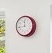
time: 11:43
